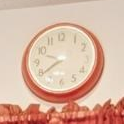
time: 9:39
